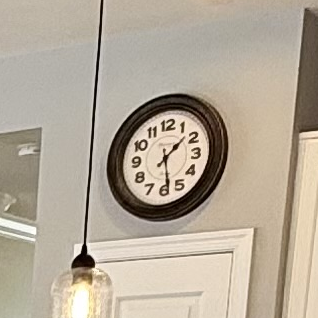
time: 1:28
